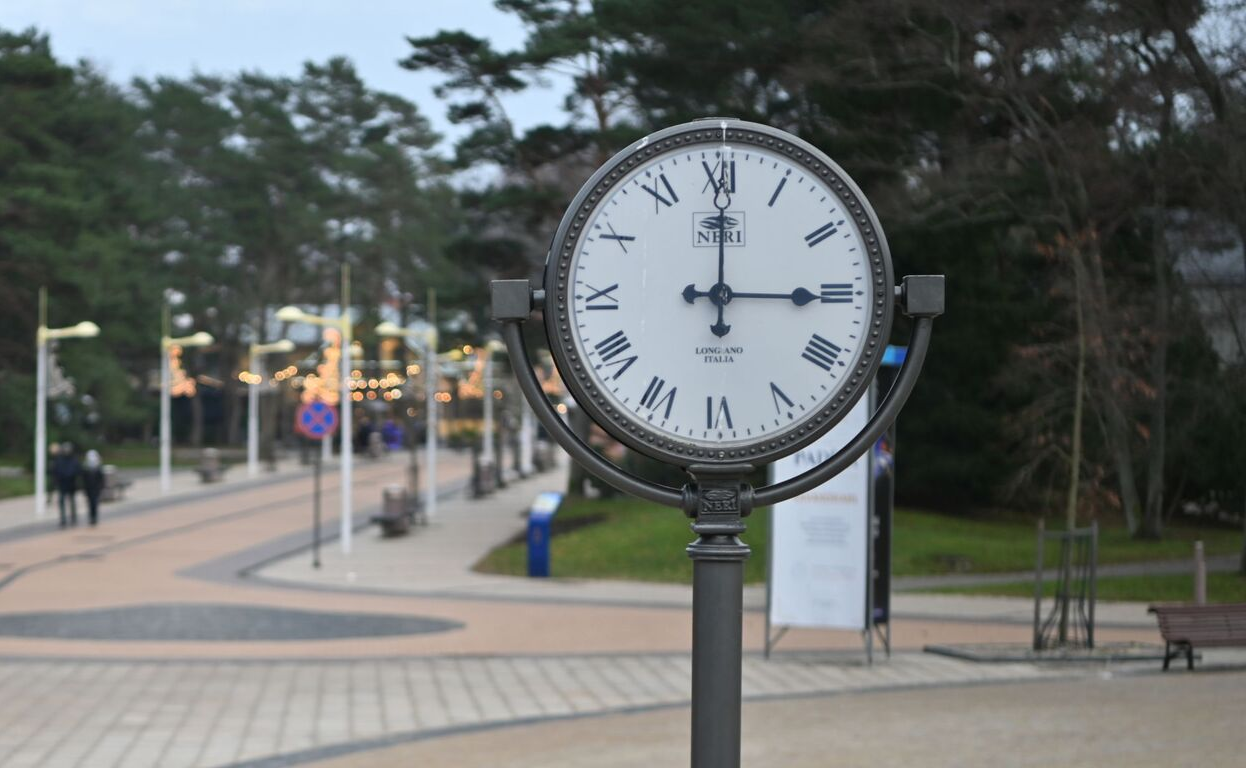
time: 3:00
